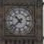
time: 10:37
